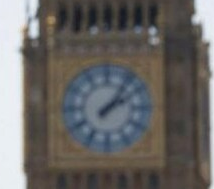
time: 2:06
